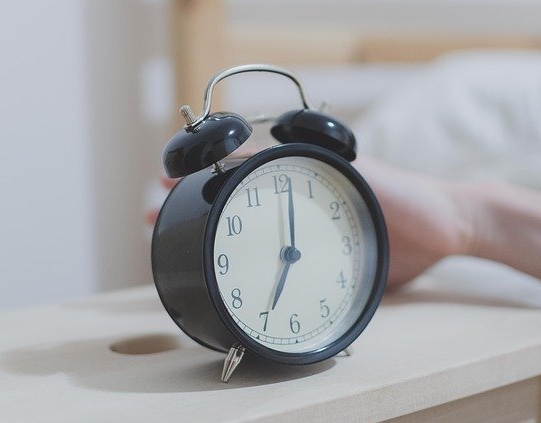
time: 7:01
